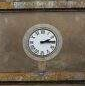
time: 2:14
